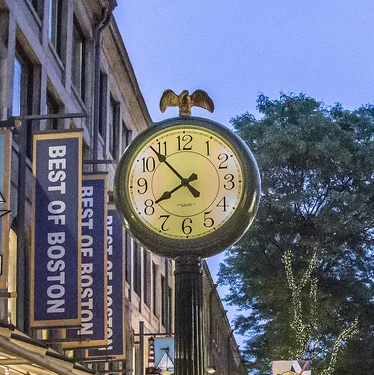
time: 7:53
